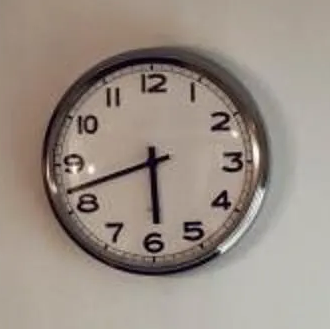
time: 5:42
